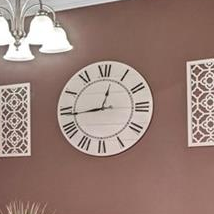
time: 12:43
